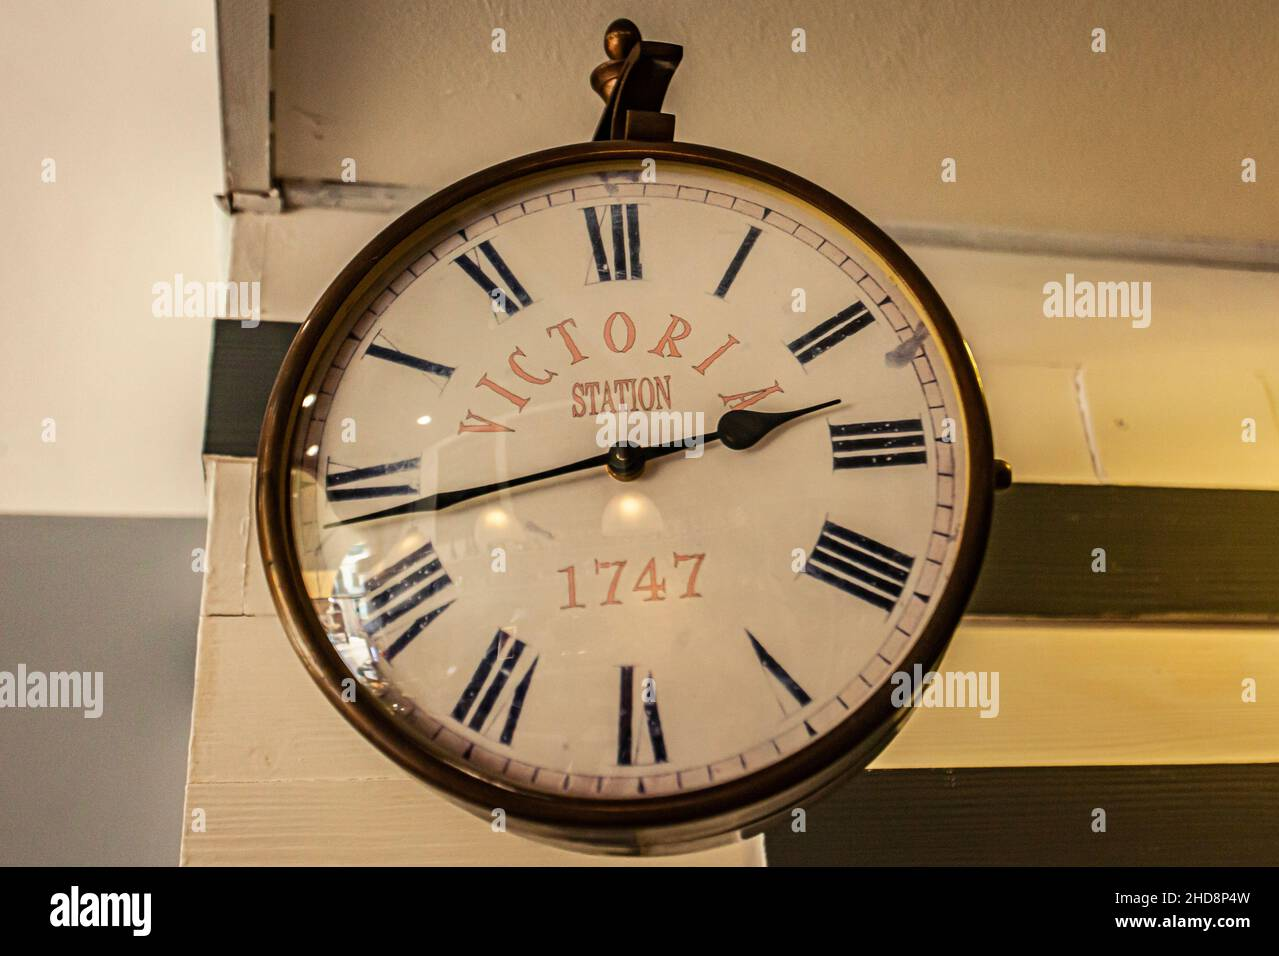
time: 2:43
